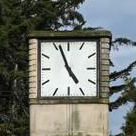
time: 4:56
